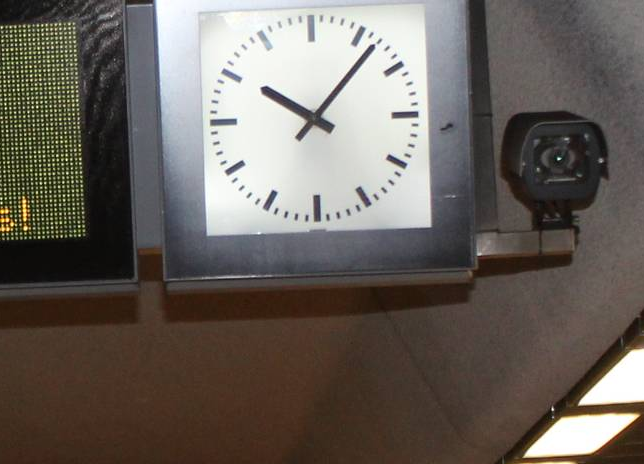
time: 10:07
